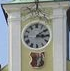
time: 3:09
